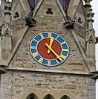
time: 12:23
